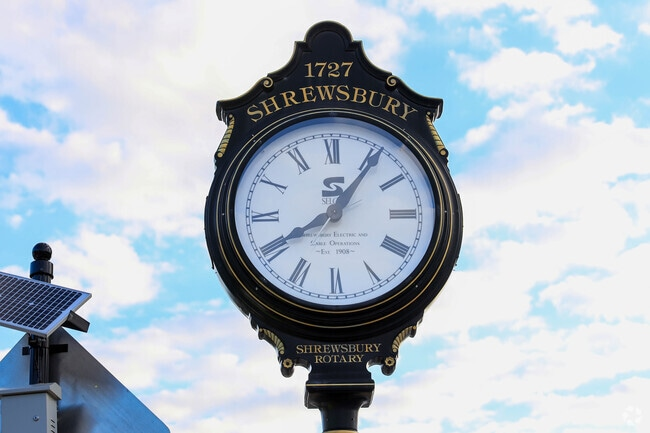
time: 8:06
